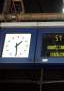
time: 1:29
